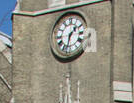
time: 1:32
